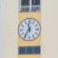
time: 11:35
